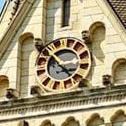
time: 3:22
